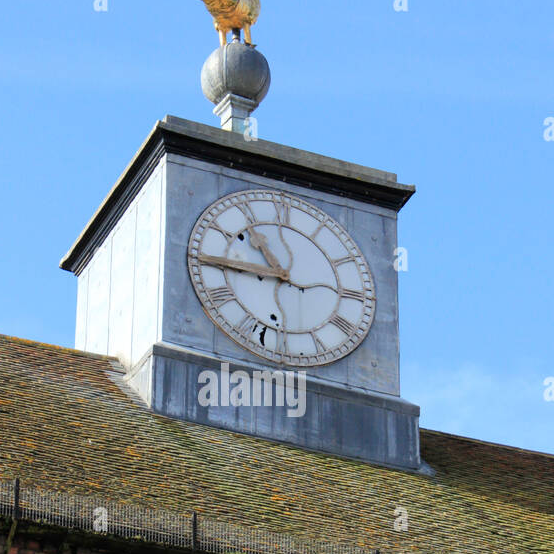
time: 10:44
